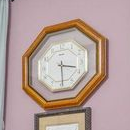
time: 3:29
